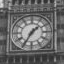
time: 1:35
